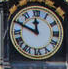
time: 11:49
